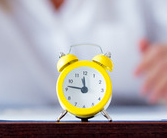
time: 11:46
